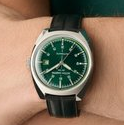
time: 4:06
